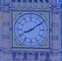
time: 8:09
